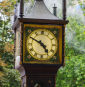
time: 4:49
